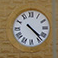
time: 4:22
